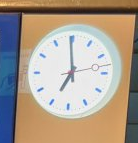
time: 6:59
